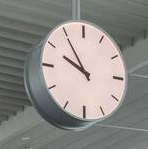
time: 9:54
